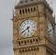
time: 5:40
